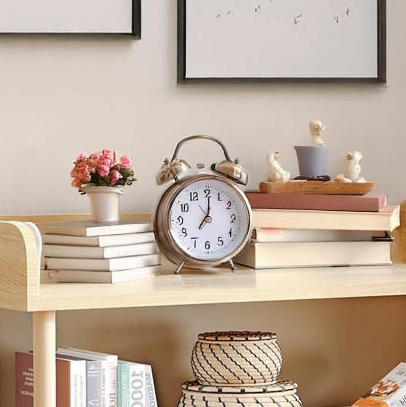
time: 7:01
